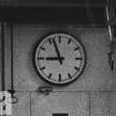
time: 8:56
